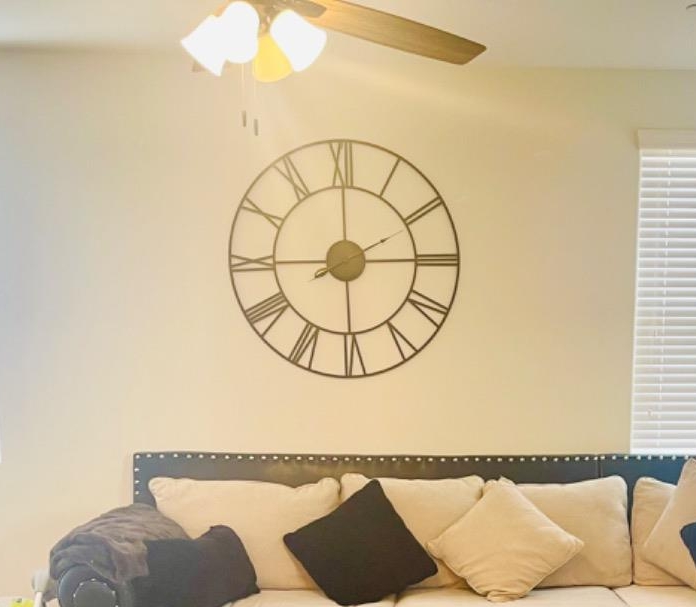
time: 2:00
